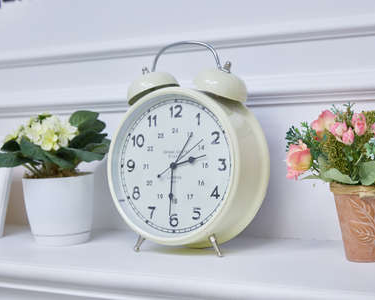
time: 2:31
